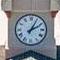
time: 2:04
